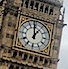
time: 12:58
